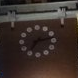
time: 7:13
